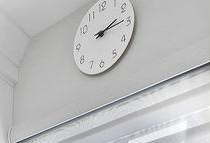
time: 2:14
